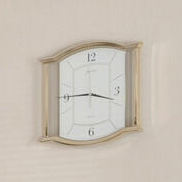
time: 3:45
